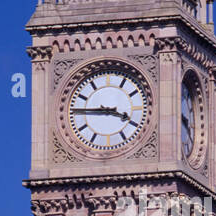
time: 3:45
